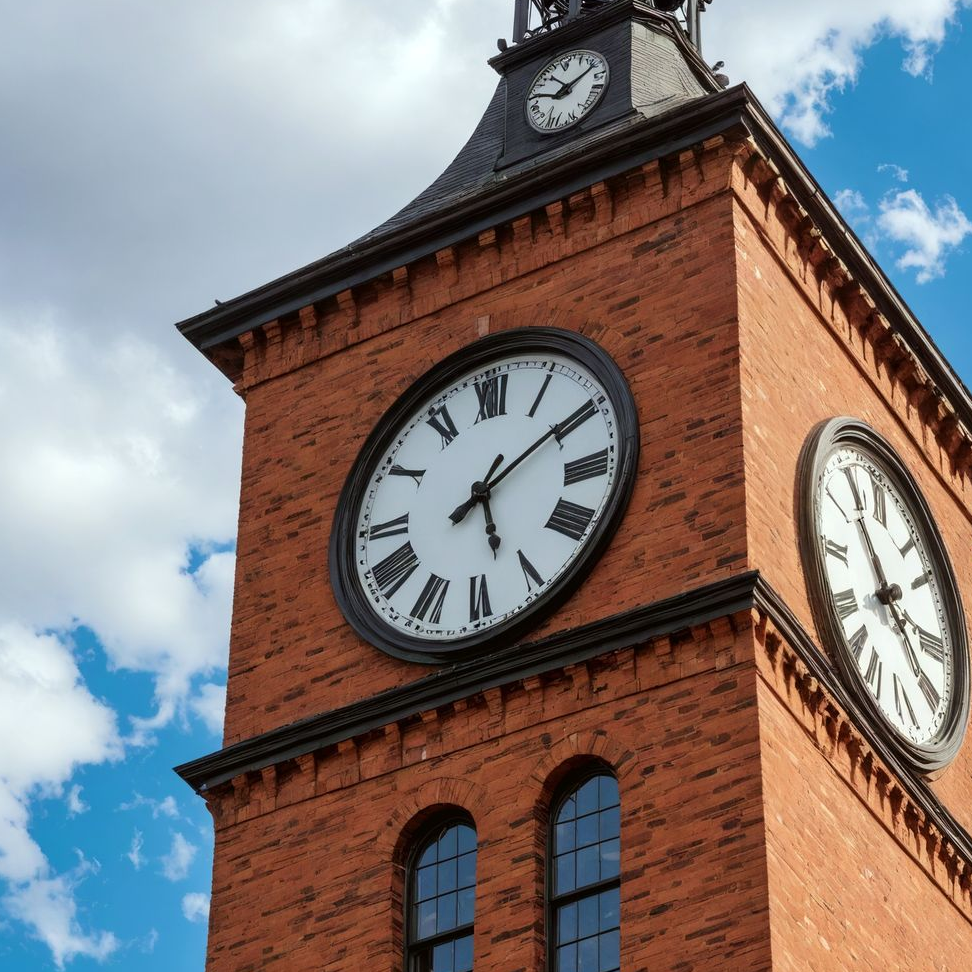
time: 5:09
